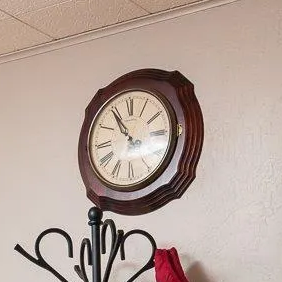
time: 10:54
